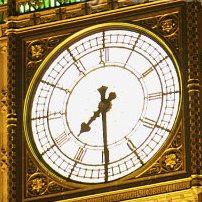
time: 7:30
